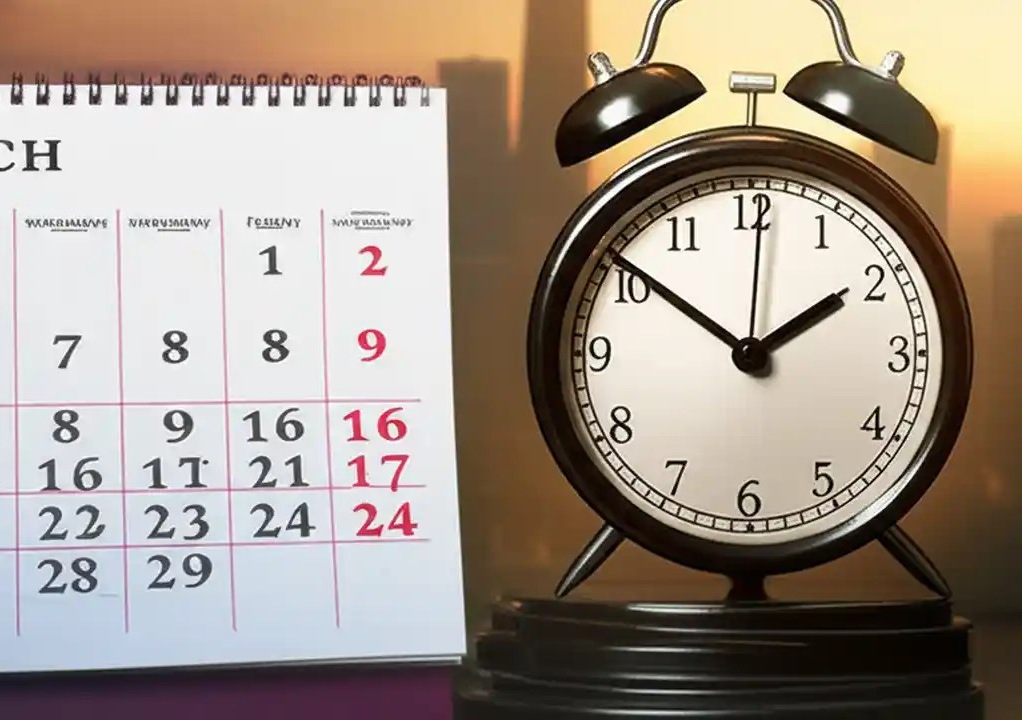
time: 1:50
